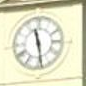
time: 11:28
